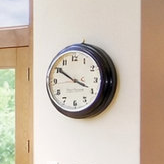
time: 3:50
